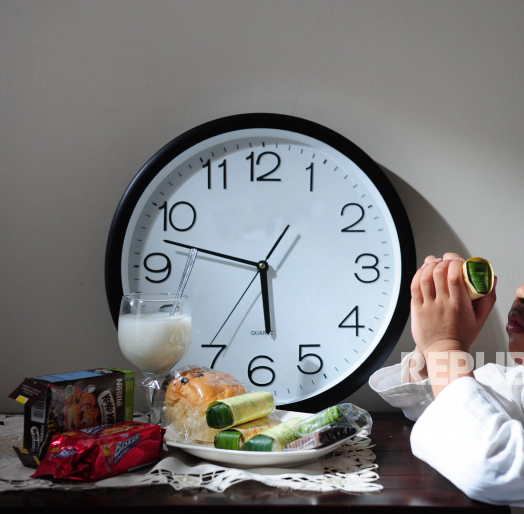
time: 5:47
